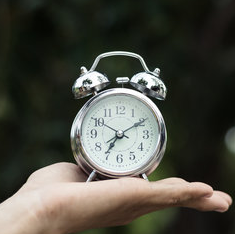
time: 7:09
